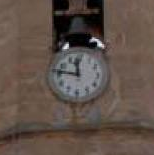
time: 11:46
